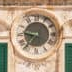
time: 9:36
